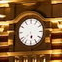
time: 5:38
